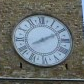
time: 8:10
